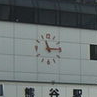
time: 11:14
